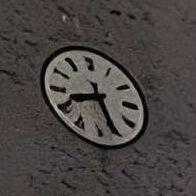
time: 8:26
